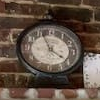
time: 3:56
